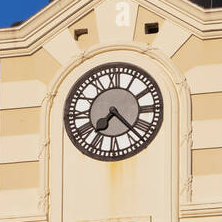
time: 7:22
